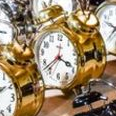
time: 3:37
